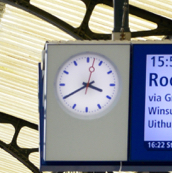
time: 3:40
